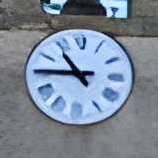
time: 10:45
